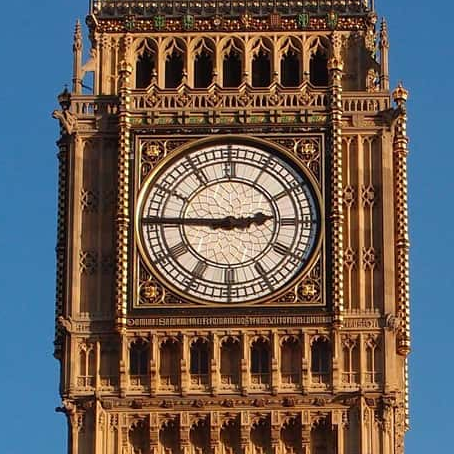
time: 2:45
